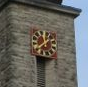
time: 11:38
